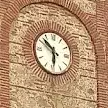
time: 5:51
